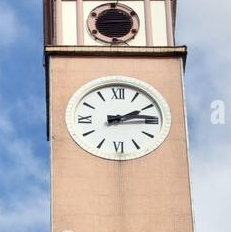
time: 2:14
